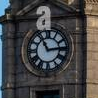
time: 11:13
